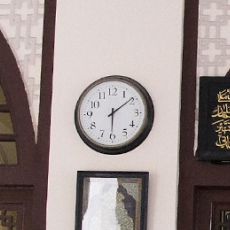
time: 6:08
